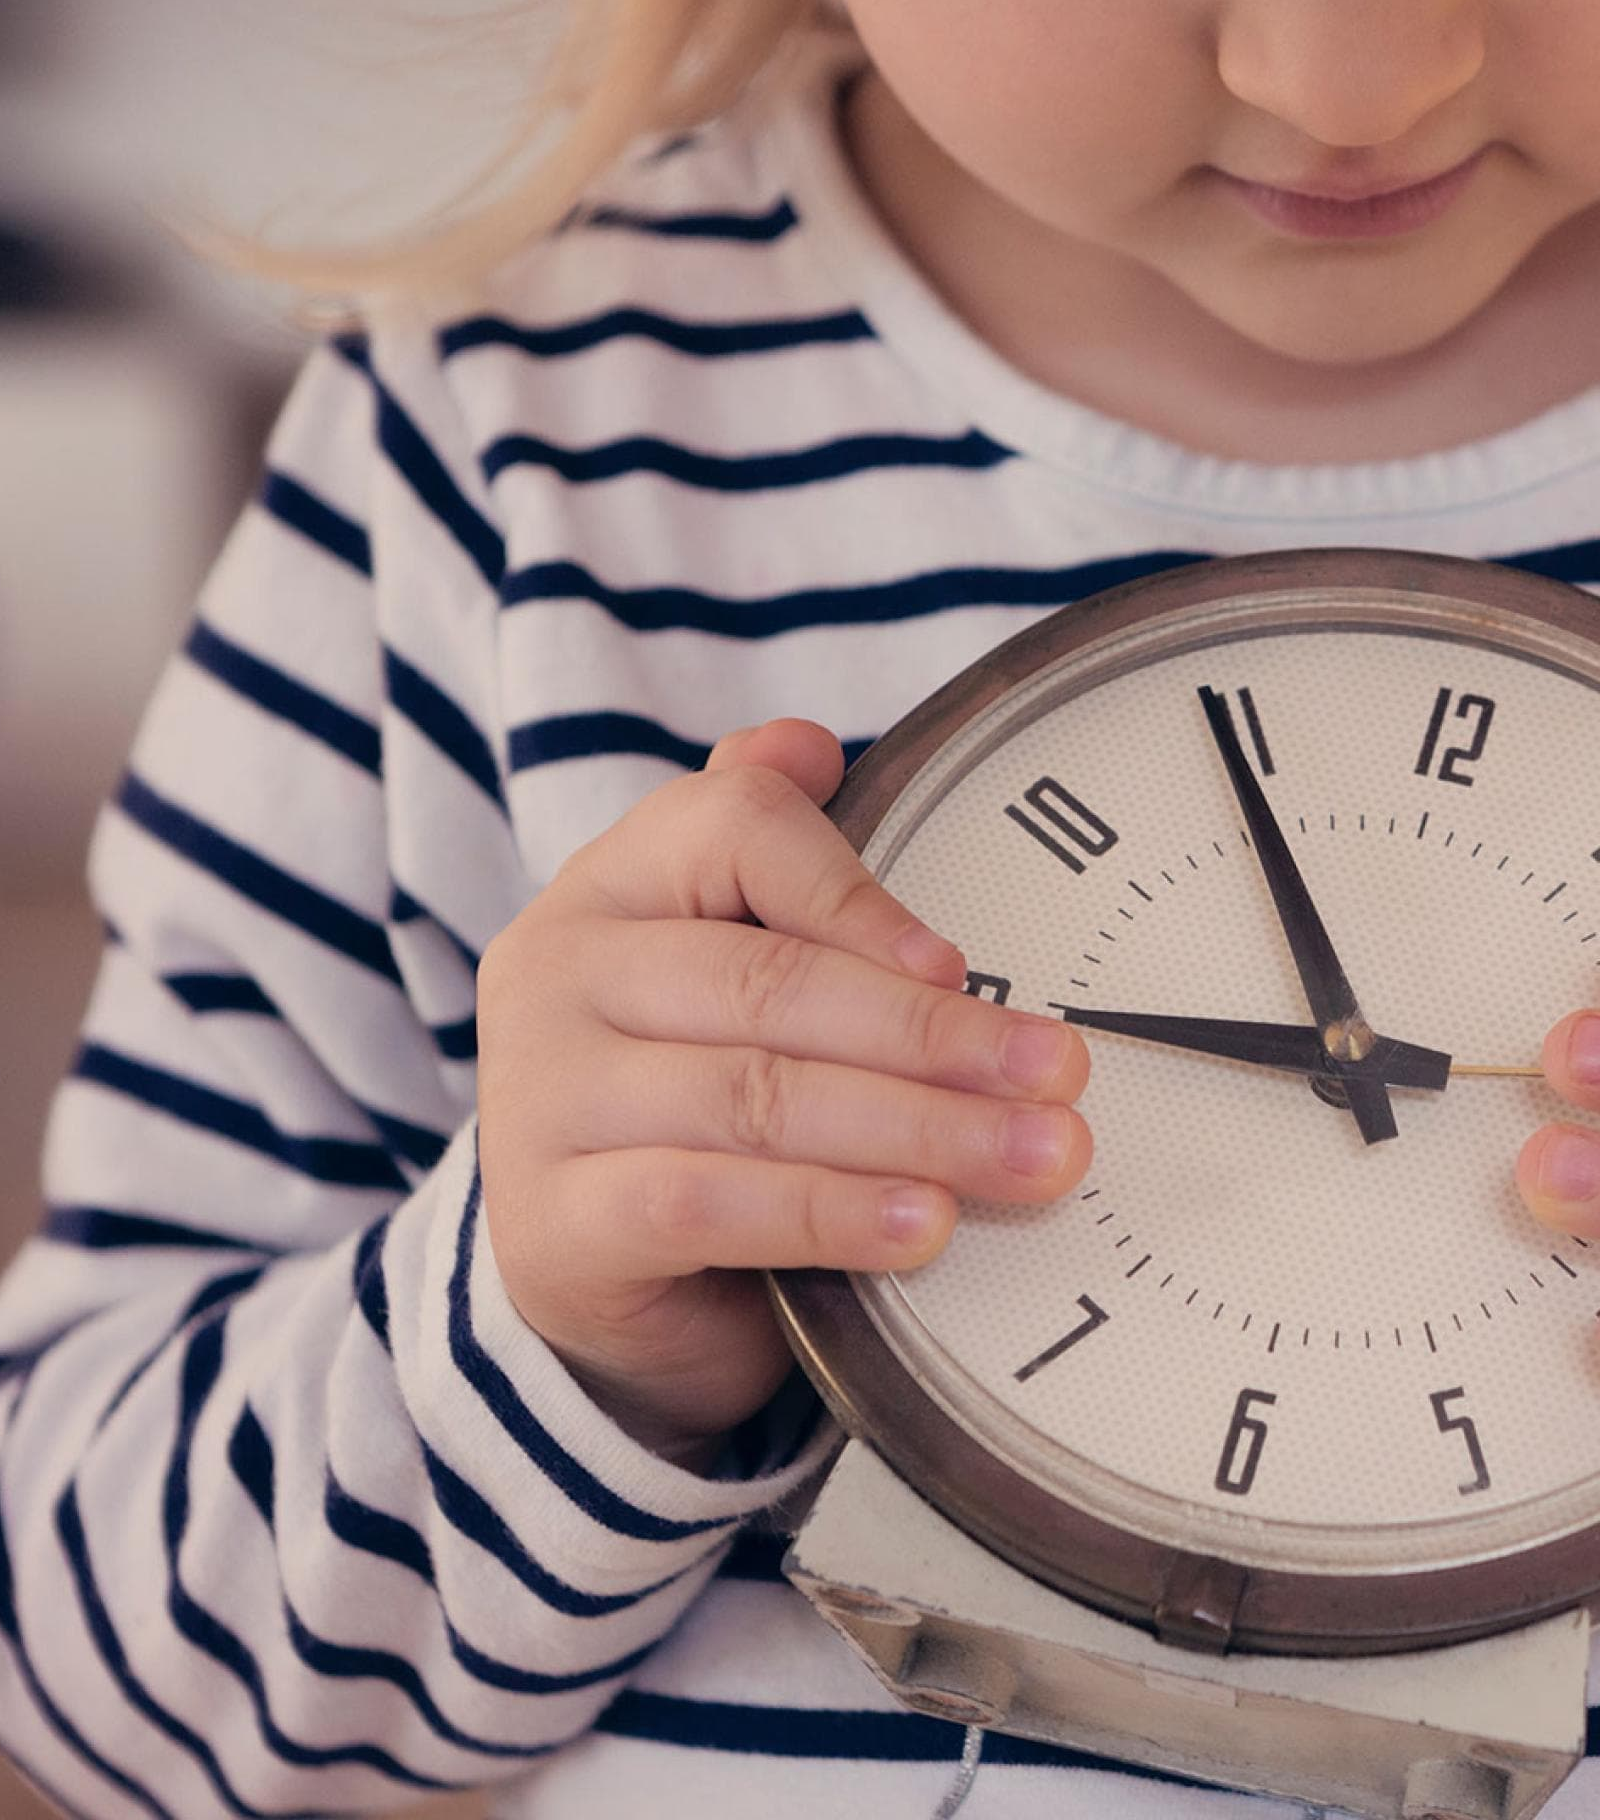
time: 8:54
